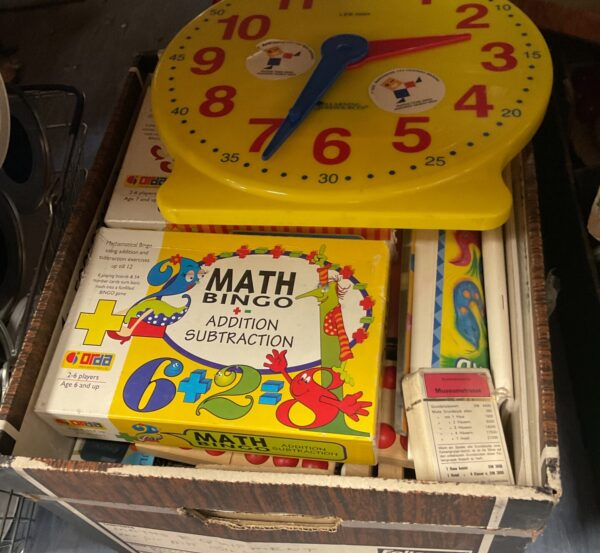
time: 6:33
